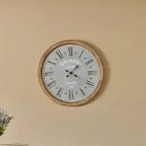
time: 4:07
